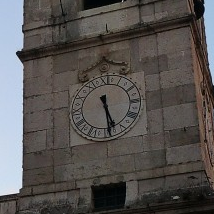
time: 5:29
